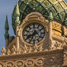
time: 6:40
